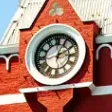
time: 2:04
